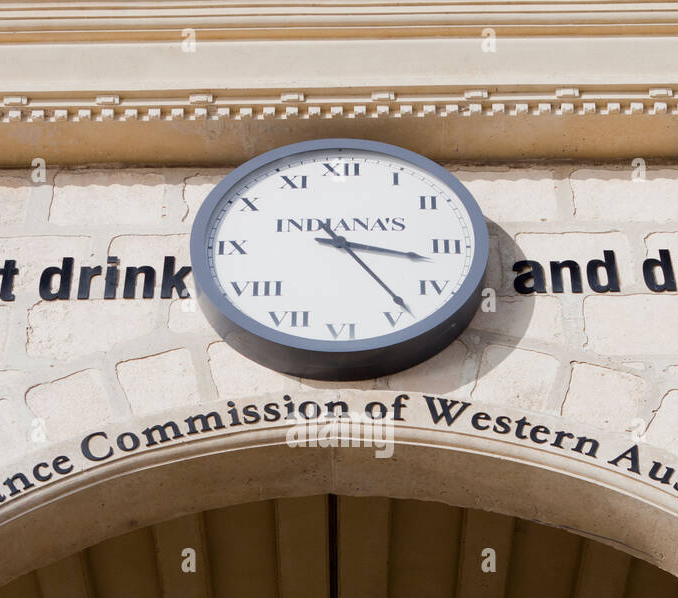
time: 3:23
